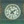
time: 1:53
